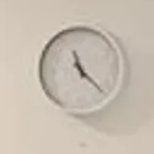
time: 11:22
